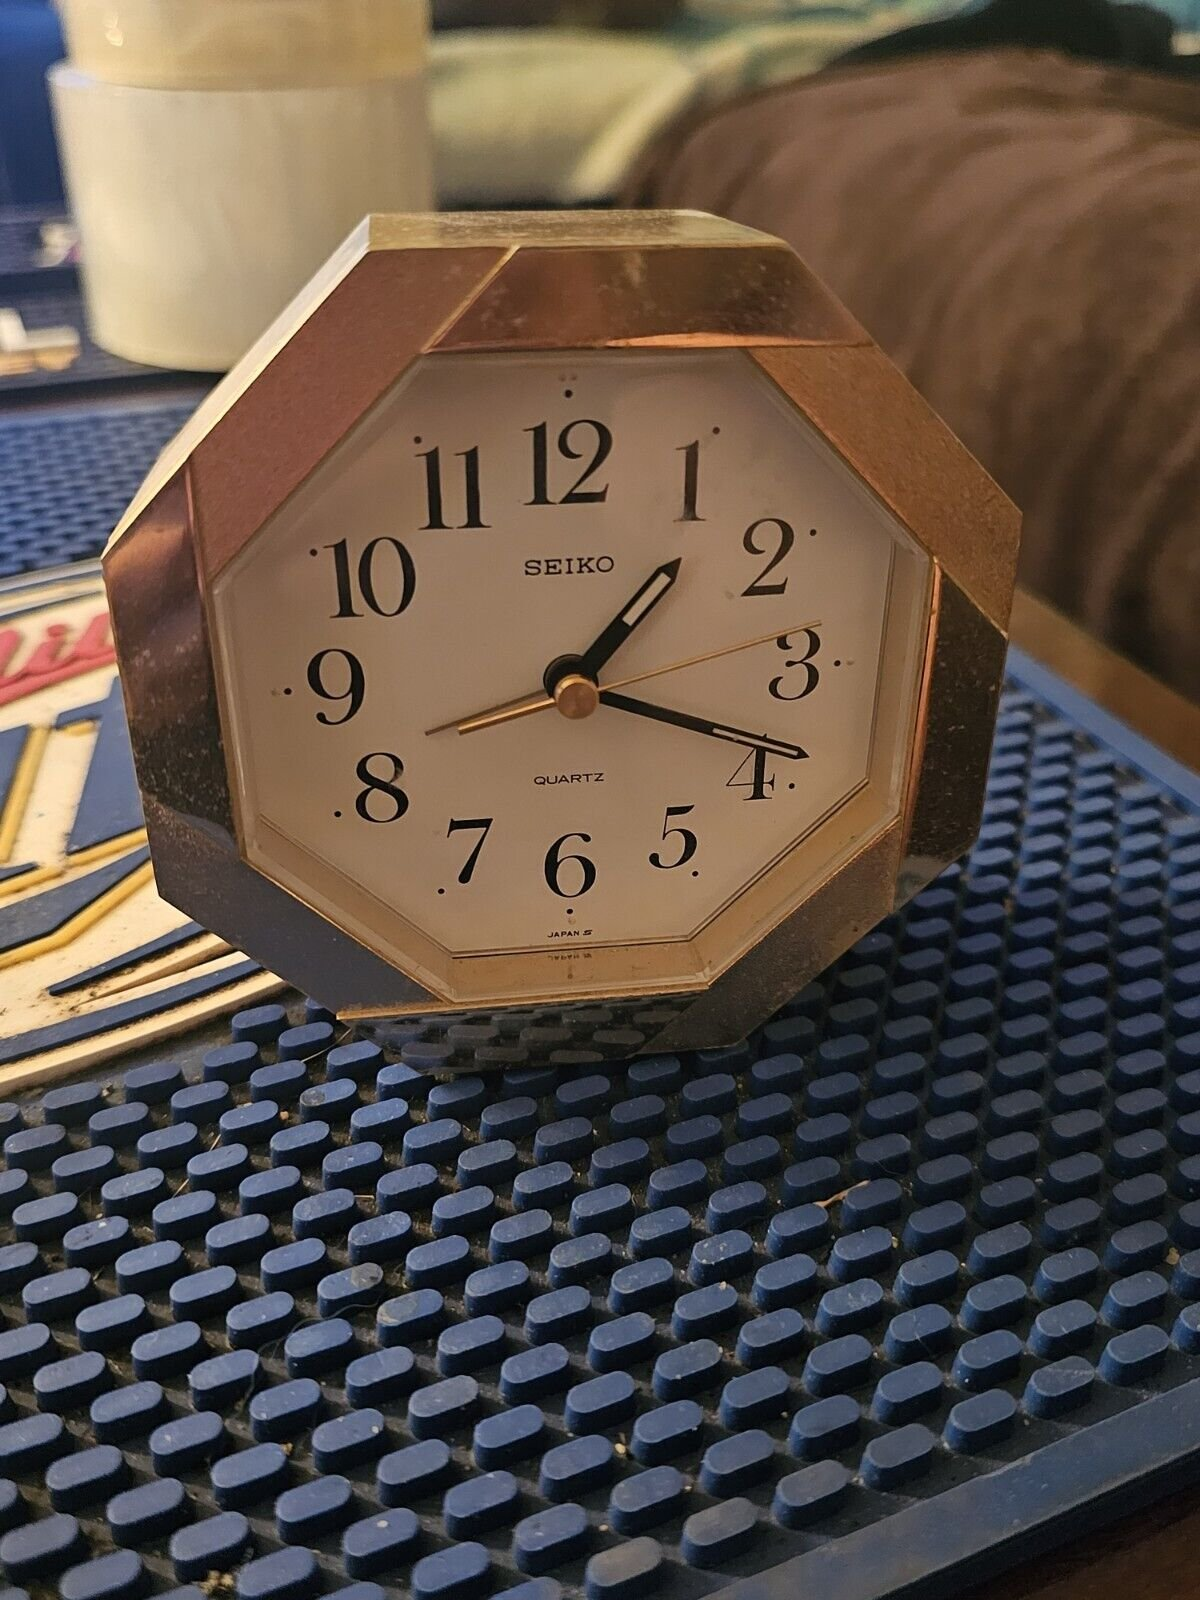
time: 1:18
